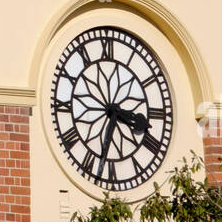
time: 3:32
